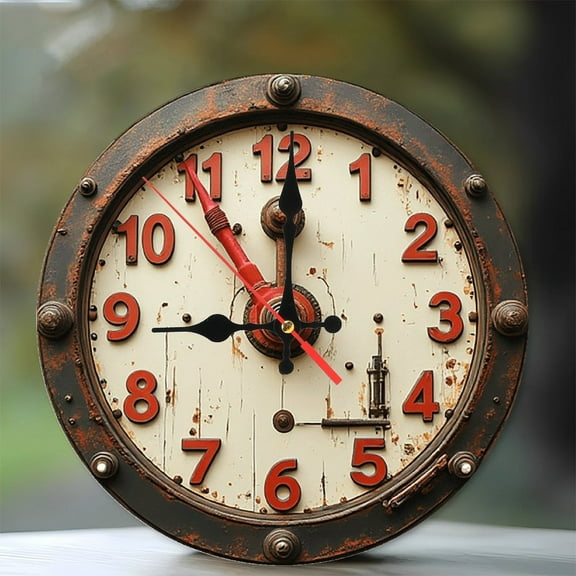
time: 9:00
